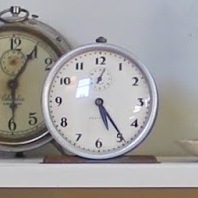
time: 5:24
